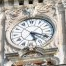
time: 5:18
